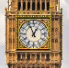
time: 12:56
